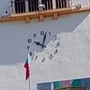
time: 10:02
